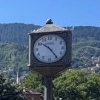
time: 10:24
